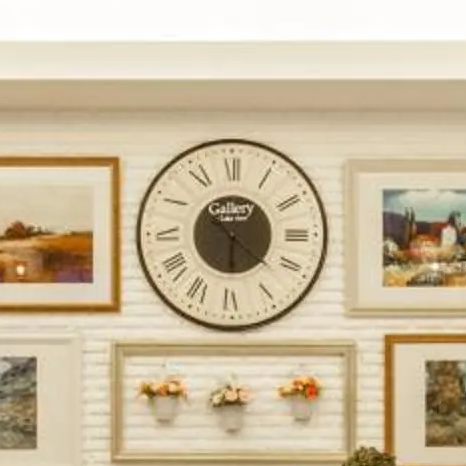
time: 6:21
